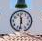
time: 11:31
